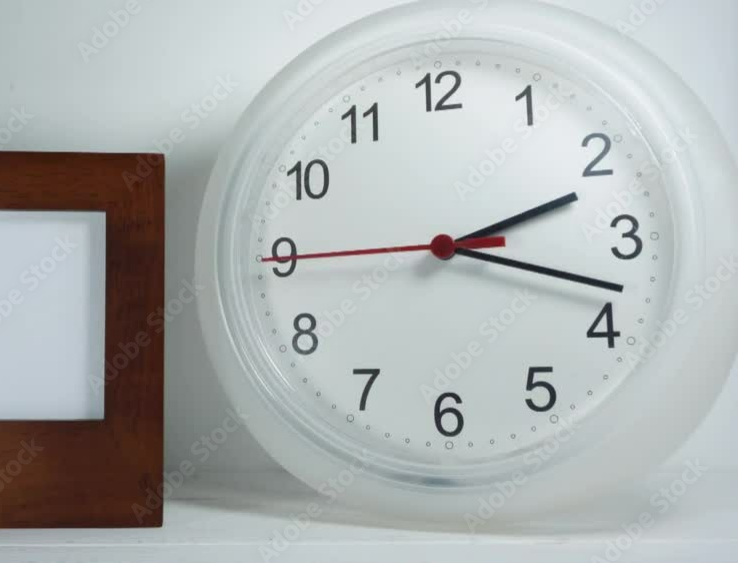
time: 2:17
